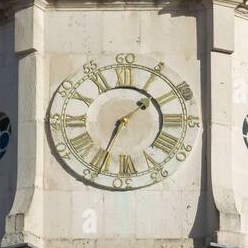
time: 1:34
